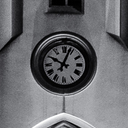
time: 10:03
